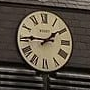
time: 1:45
